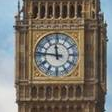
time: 11:46
